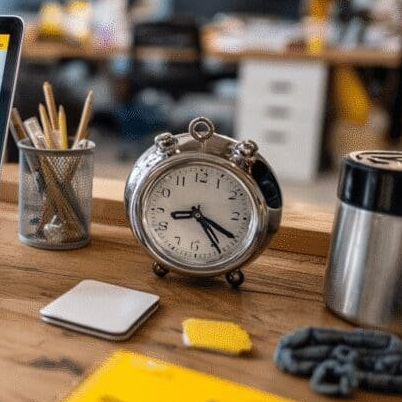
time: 8:19
